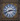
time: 2:41
